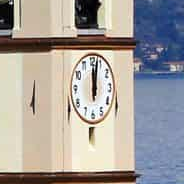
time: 12:02
